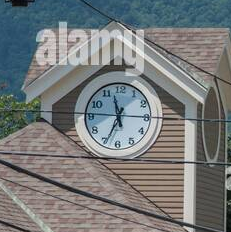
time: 11:34
